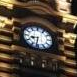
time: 8:32
